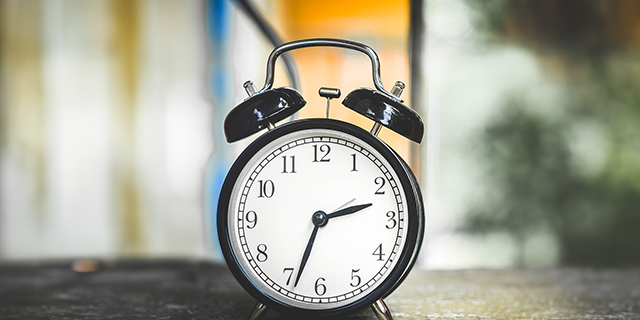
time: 2:33
